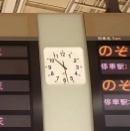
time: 10:28
